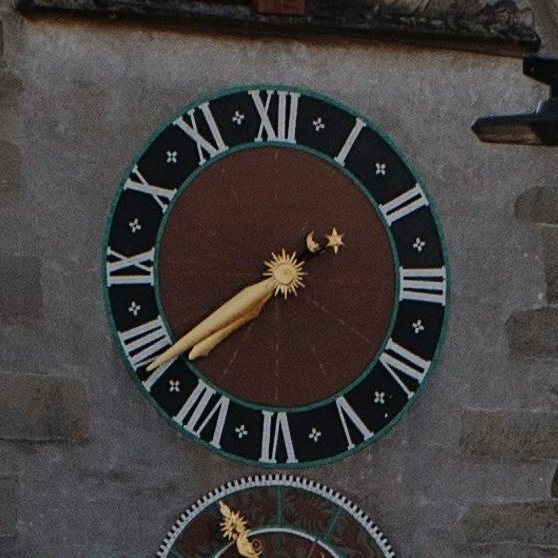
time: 7:39
